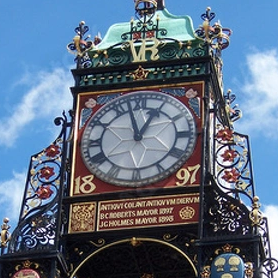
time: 12:57
